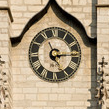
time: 11:14
